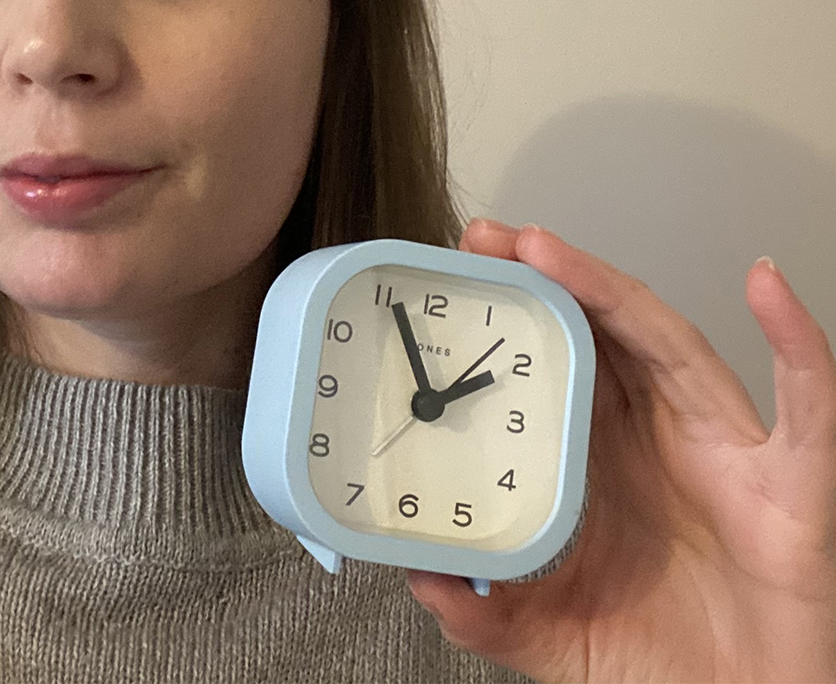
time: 1:56
